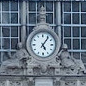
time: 5:06
